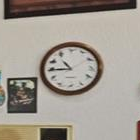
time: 10:45
